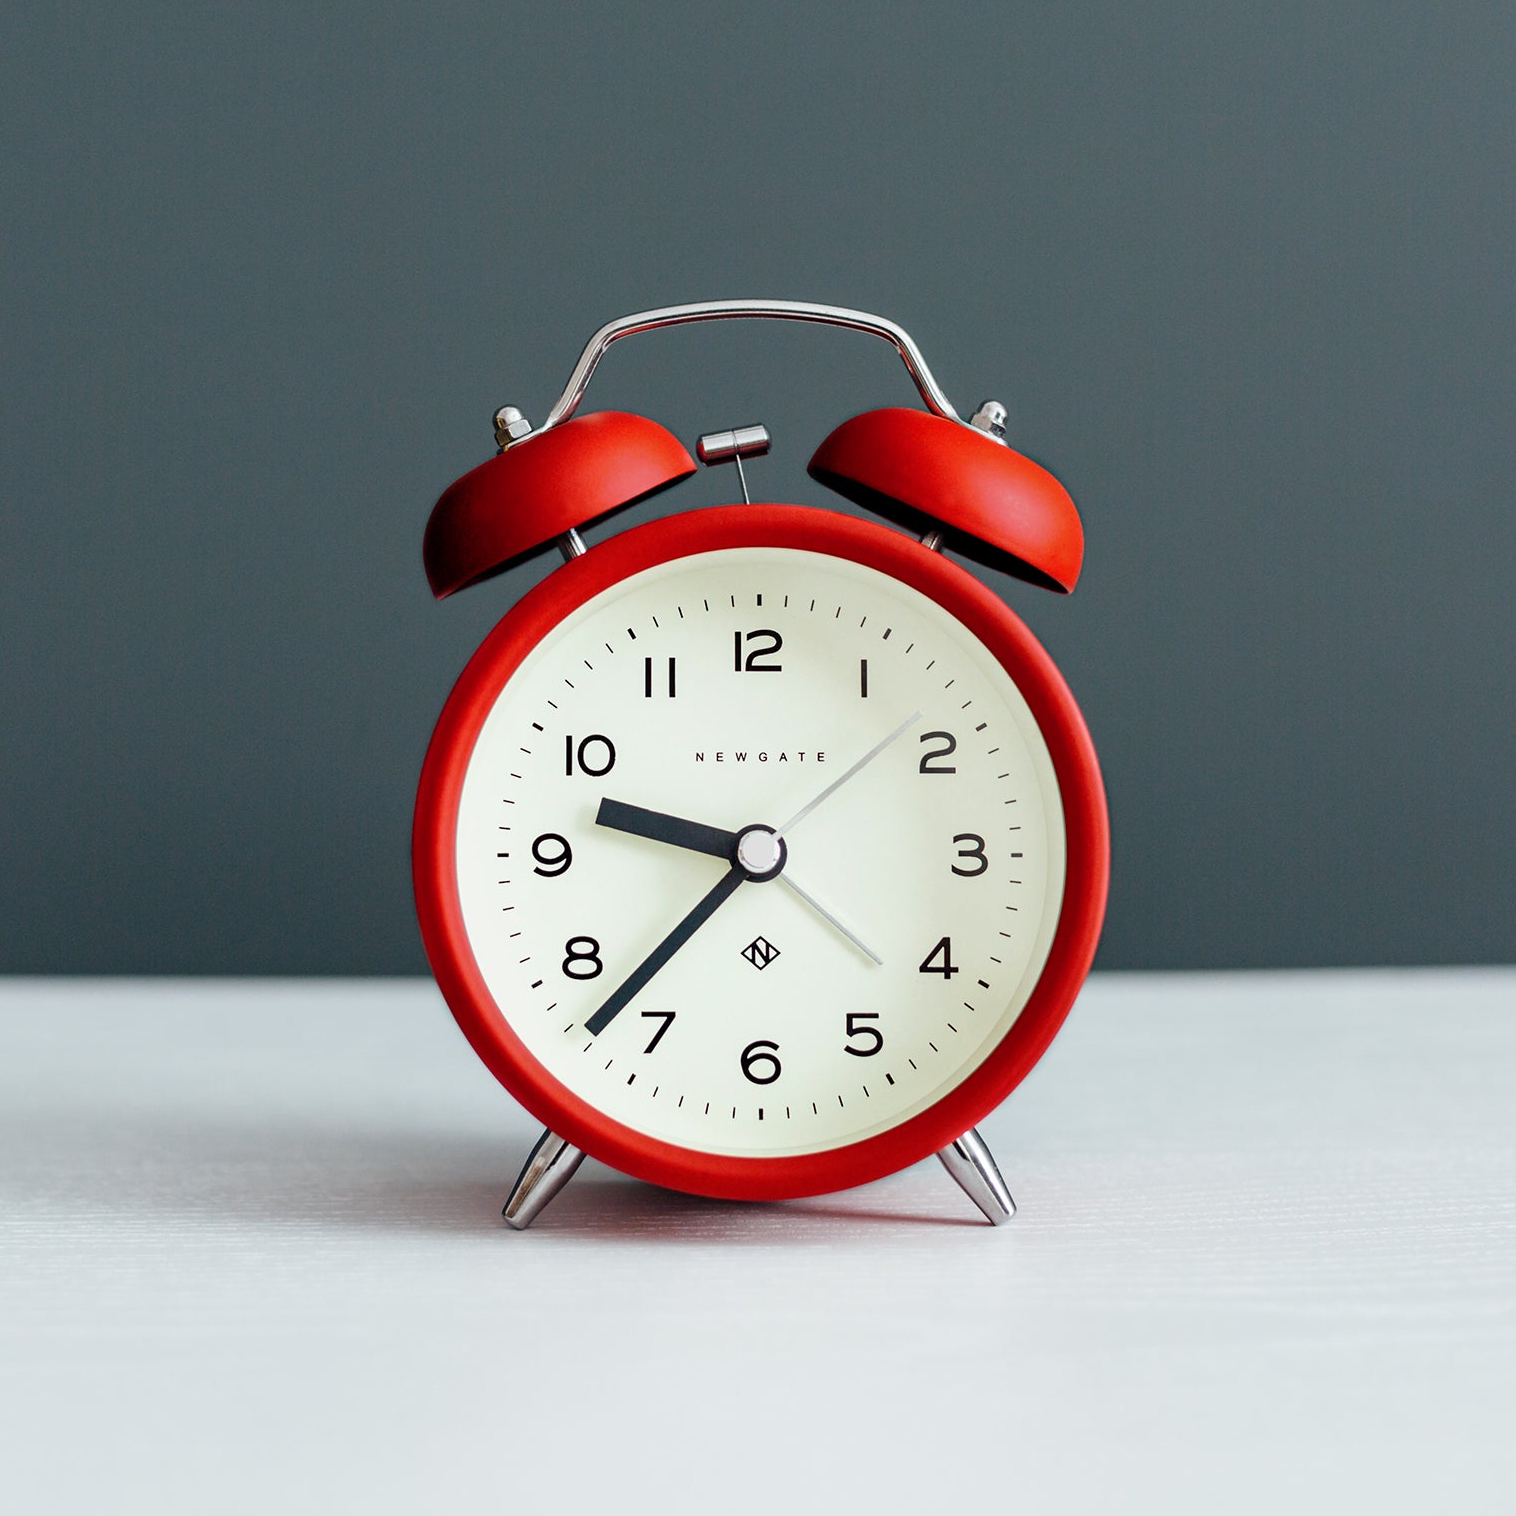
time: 9:37
